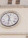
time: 11:31
